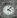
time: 4:07
